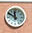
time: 11:50
